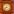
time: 8:38
